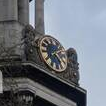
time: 2:24
